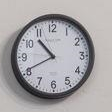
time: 10:40
